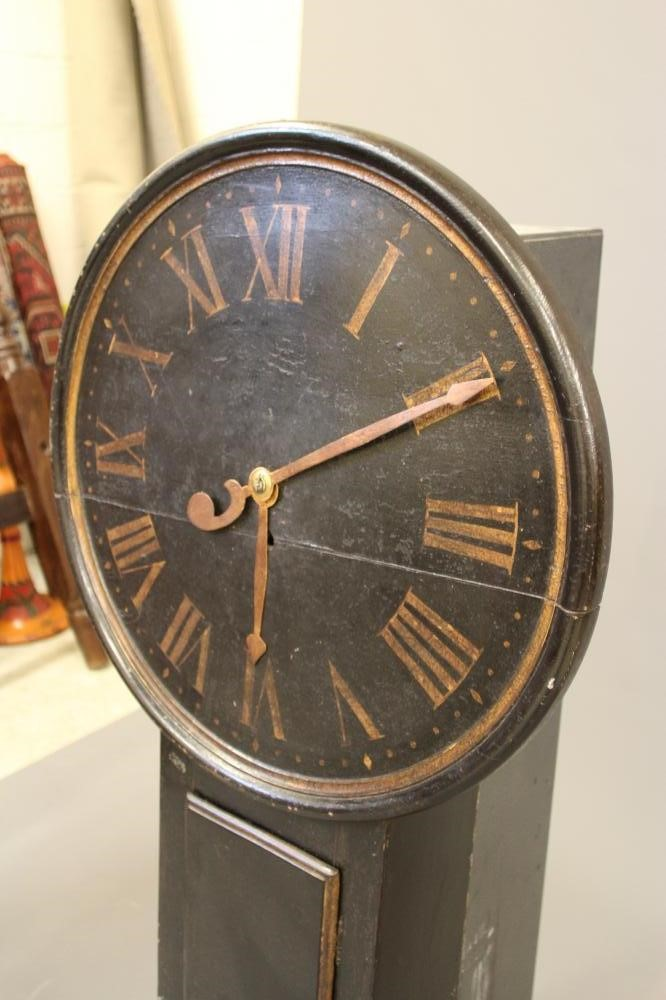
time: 6:10
